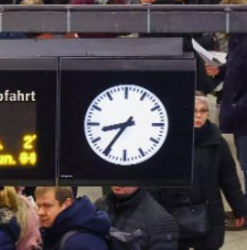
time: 8:35
